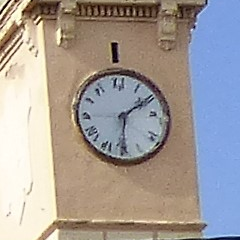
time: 6:09
